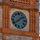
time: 1:38
